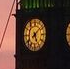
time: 5:07
